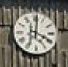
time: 4:01
